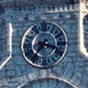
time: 7:17
